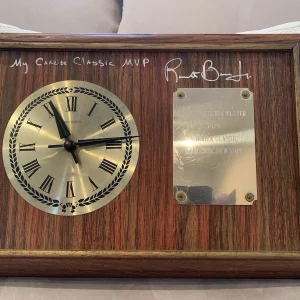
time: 11:13
